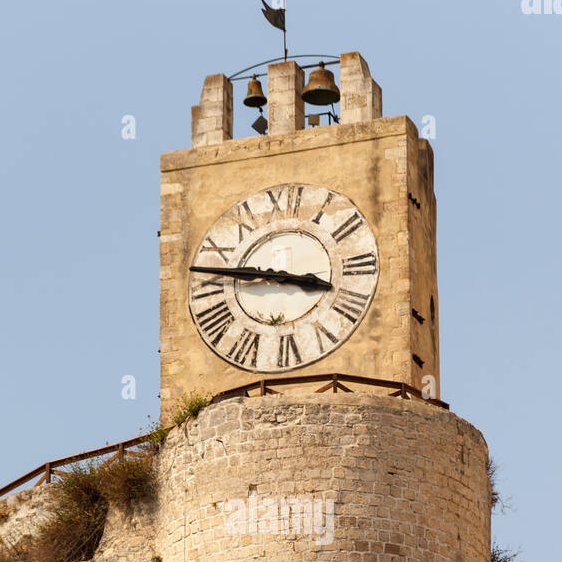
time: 3:47
